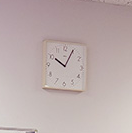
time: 10:04
